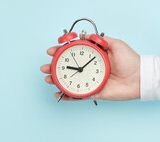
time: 9:07
